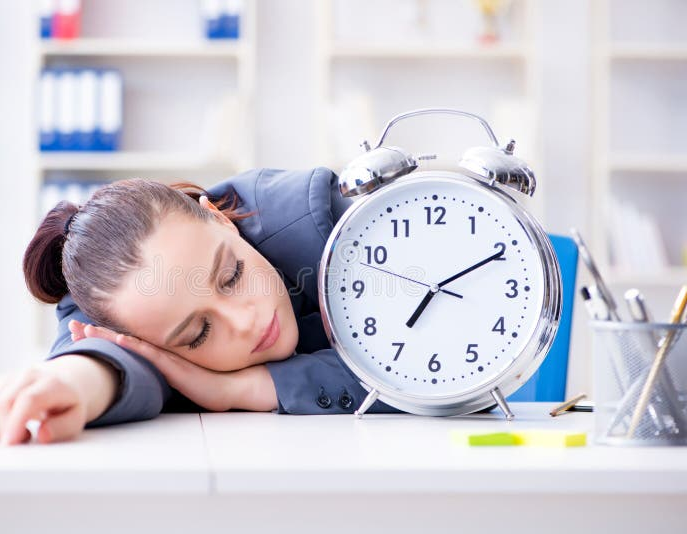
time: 7:10
